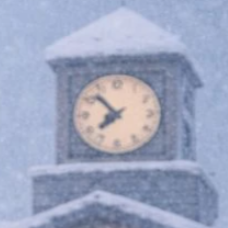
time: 7:52
